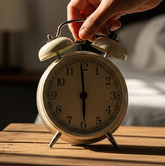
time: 5:59
